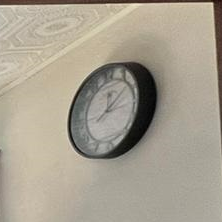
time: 12:07
